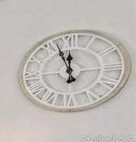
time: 11:56
